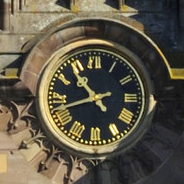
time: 10:42
